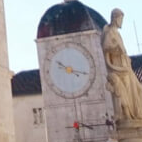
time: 10:17
